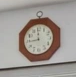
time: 11:44
